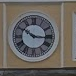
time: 10:16
